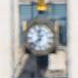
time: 11:37
